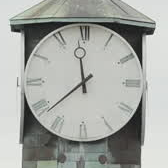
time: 11:38
